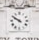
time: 9:50
